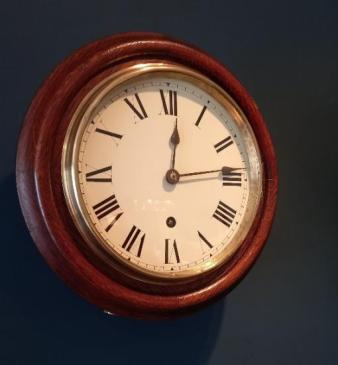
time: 12:13
